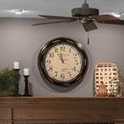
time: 10:58
